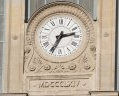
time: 2:34
